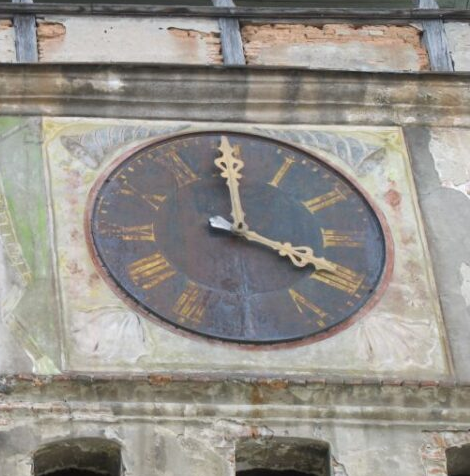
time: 3:59
